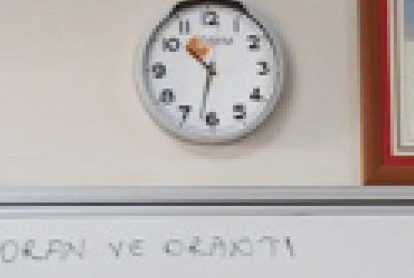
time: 10:31
